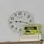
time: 9:17
